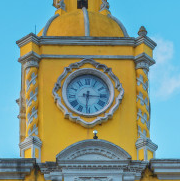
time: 6:15
